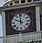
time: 11:49
